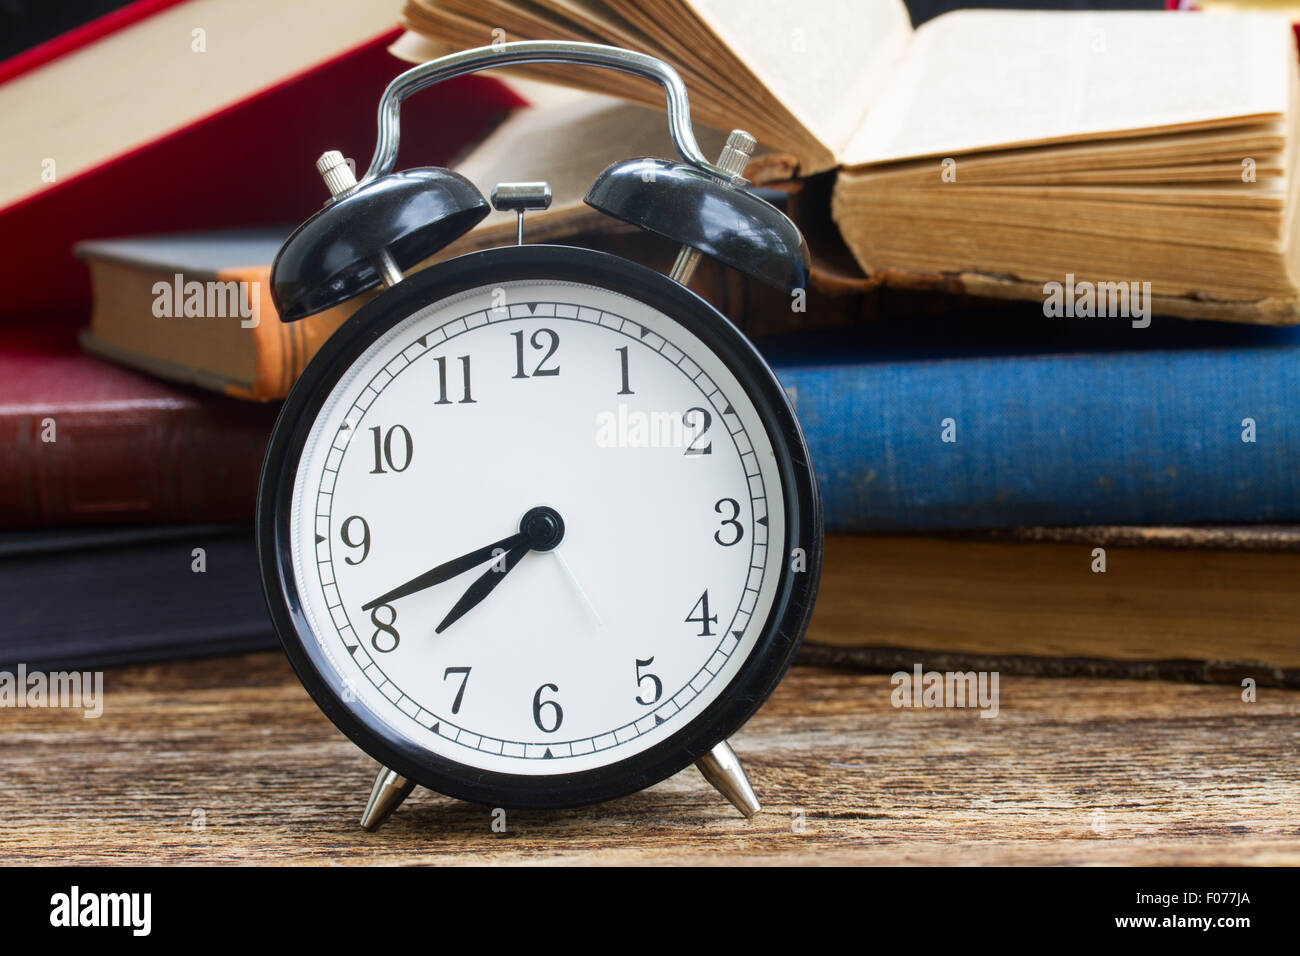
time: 7:41
